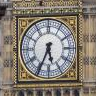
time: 5:34
